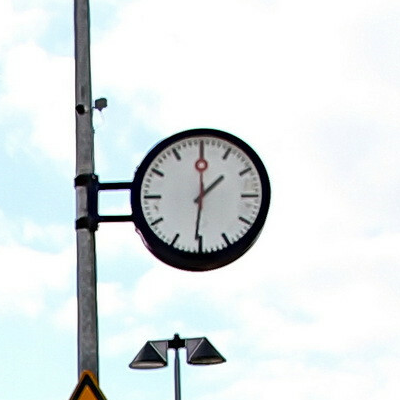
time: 1:30
